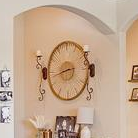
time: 8:43
